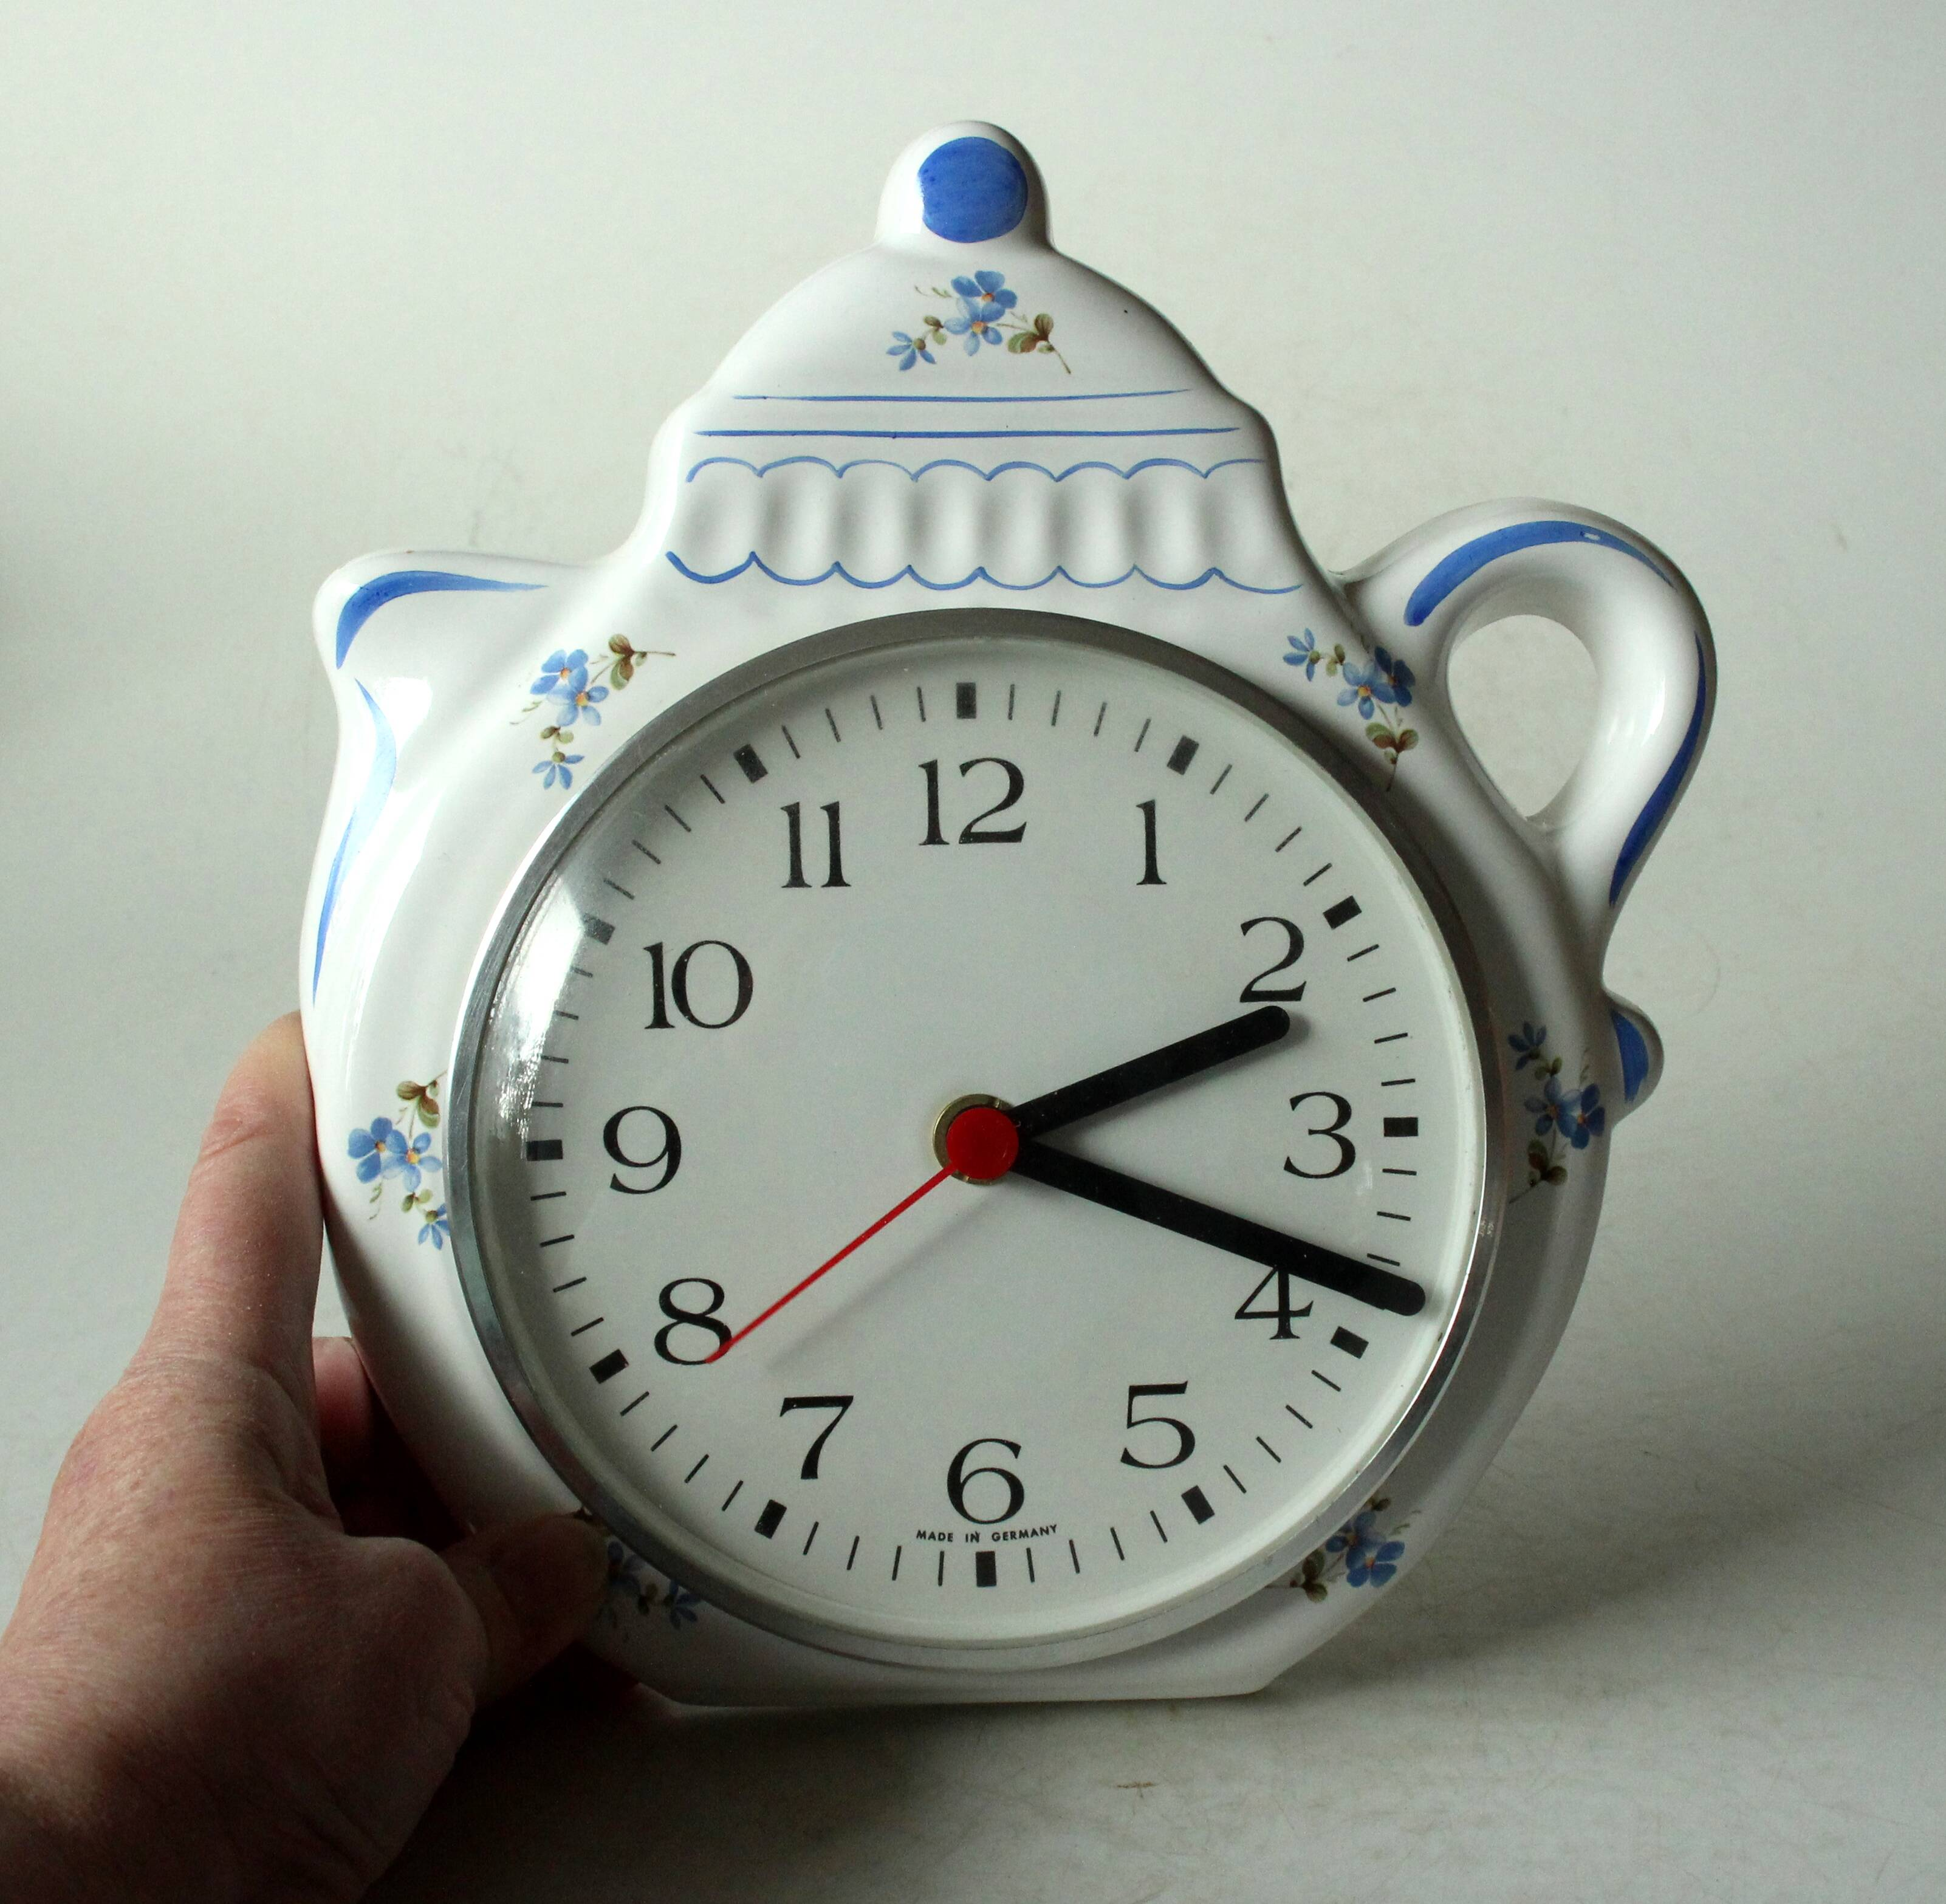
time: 2:18
